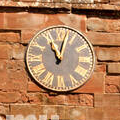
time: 11:02
